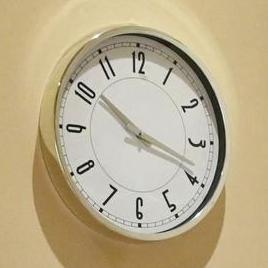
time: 10:18
